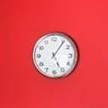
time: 5:06
